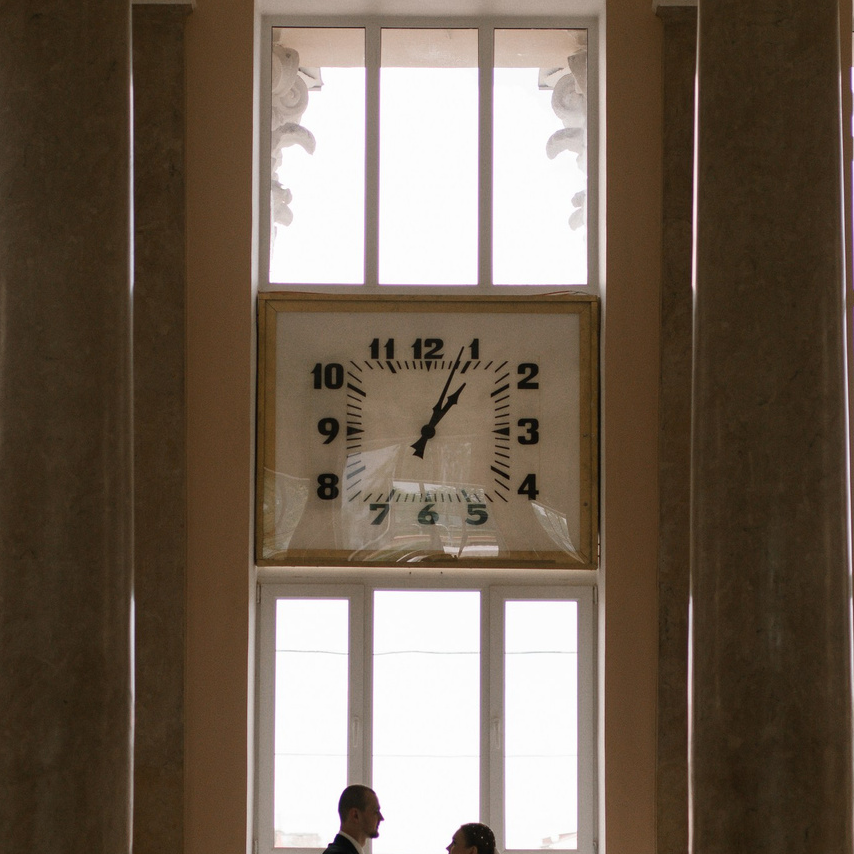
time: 1:03
